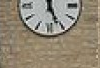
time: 12:26
